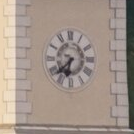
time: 6:38
